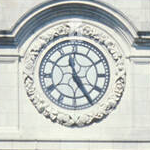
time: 11:24
